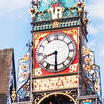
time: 8:29
